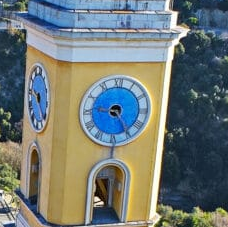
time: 9:24
